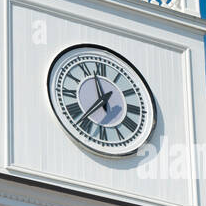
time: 11:36
